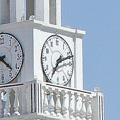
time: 7:12
